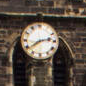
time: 2:39
